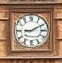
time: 9:10
